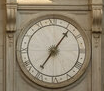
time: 7:06
